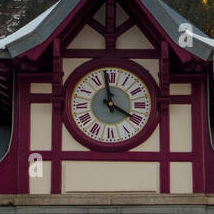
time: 3:58
